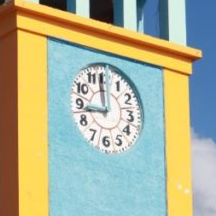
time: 11:43
